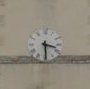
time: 3:29
